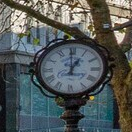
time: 1:00
